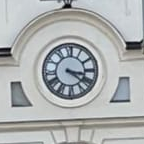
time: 3:21
